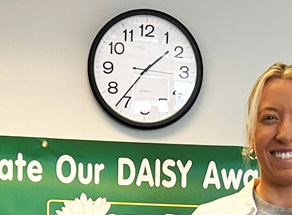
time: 1:36
